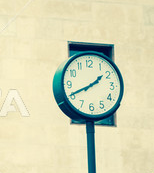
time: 1:40
